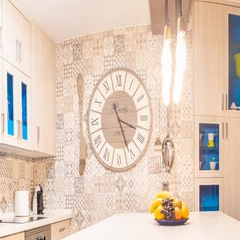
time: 5:18
